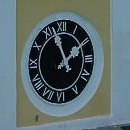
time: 1:57
